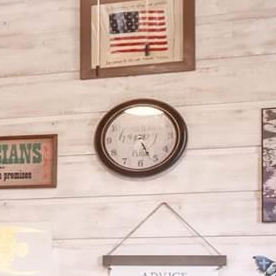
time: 5:26
